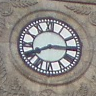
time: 8:15
